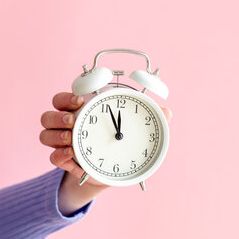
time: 11:56
